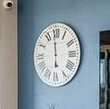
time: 5:59
